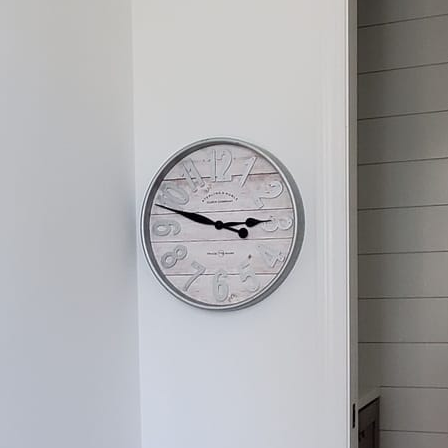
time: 2:48
